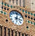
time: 3:02
